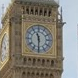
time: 11:30
